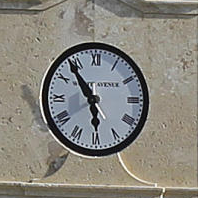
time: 5:53
